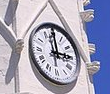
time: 2:58
